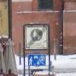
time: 12:37
